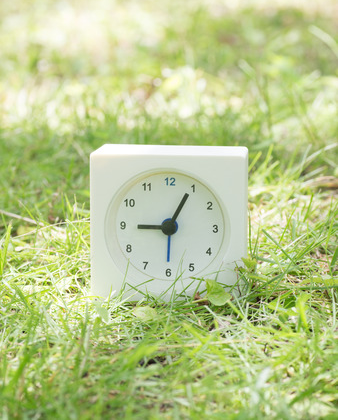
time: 9:04
